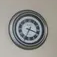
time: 3:34
